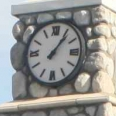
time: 1:06
